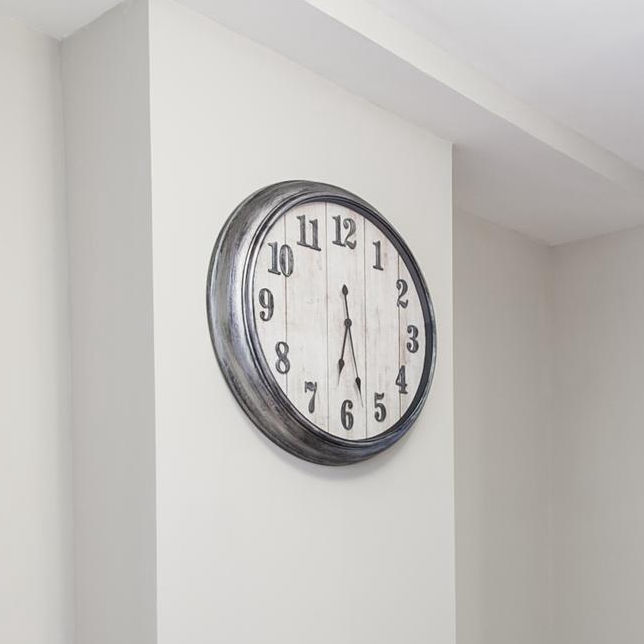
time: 6:27
